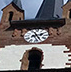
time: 2:26
